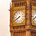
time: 7:40
